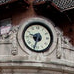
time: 9:33
